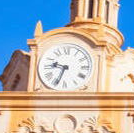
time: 9:33
